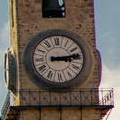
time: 3:13
